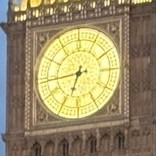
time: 6:43
